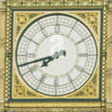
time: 7:42
